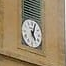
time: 5:03
